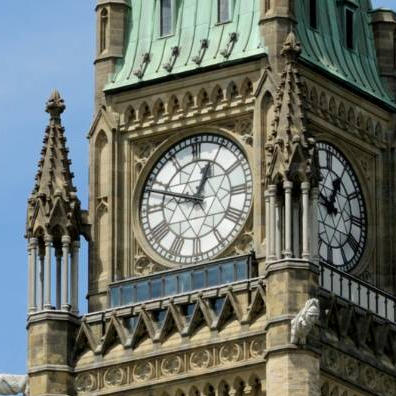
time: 12:48
